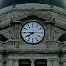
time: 7:45
